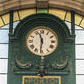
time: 11:31
